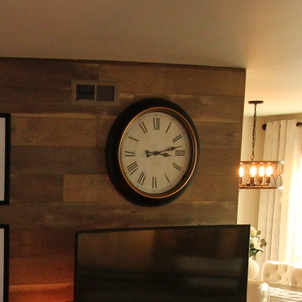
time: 3:12
